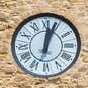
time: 12:03
